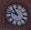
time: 10:47
